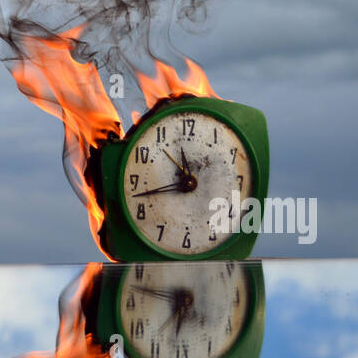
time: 11:42
